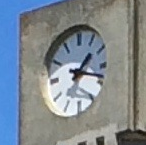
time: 1:18
